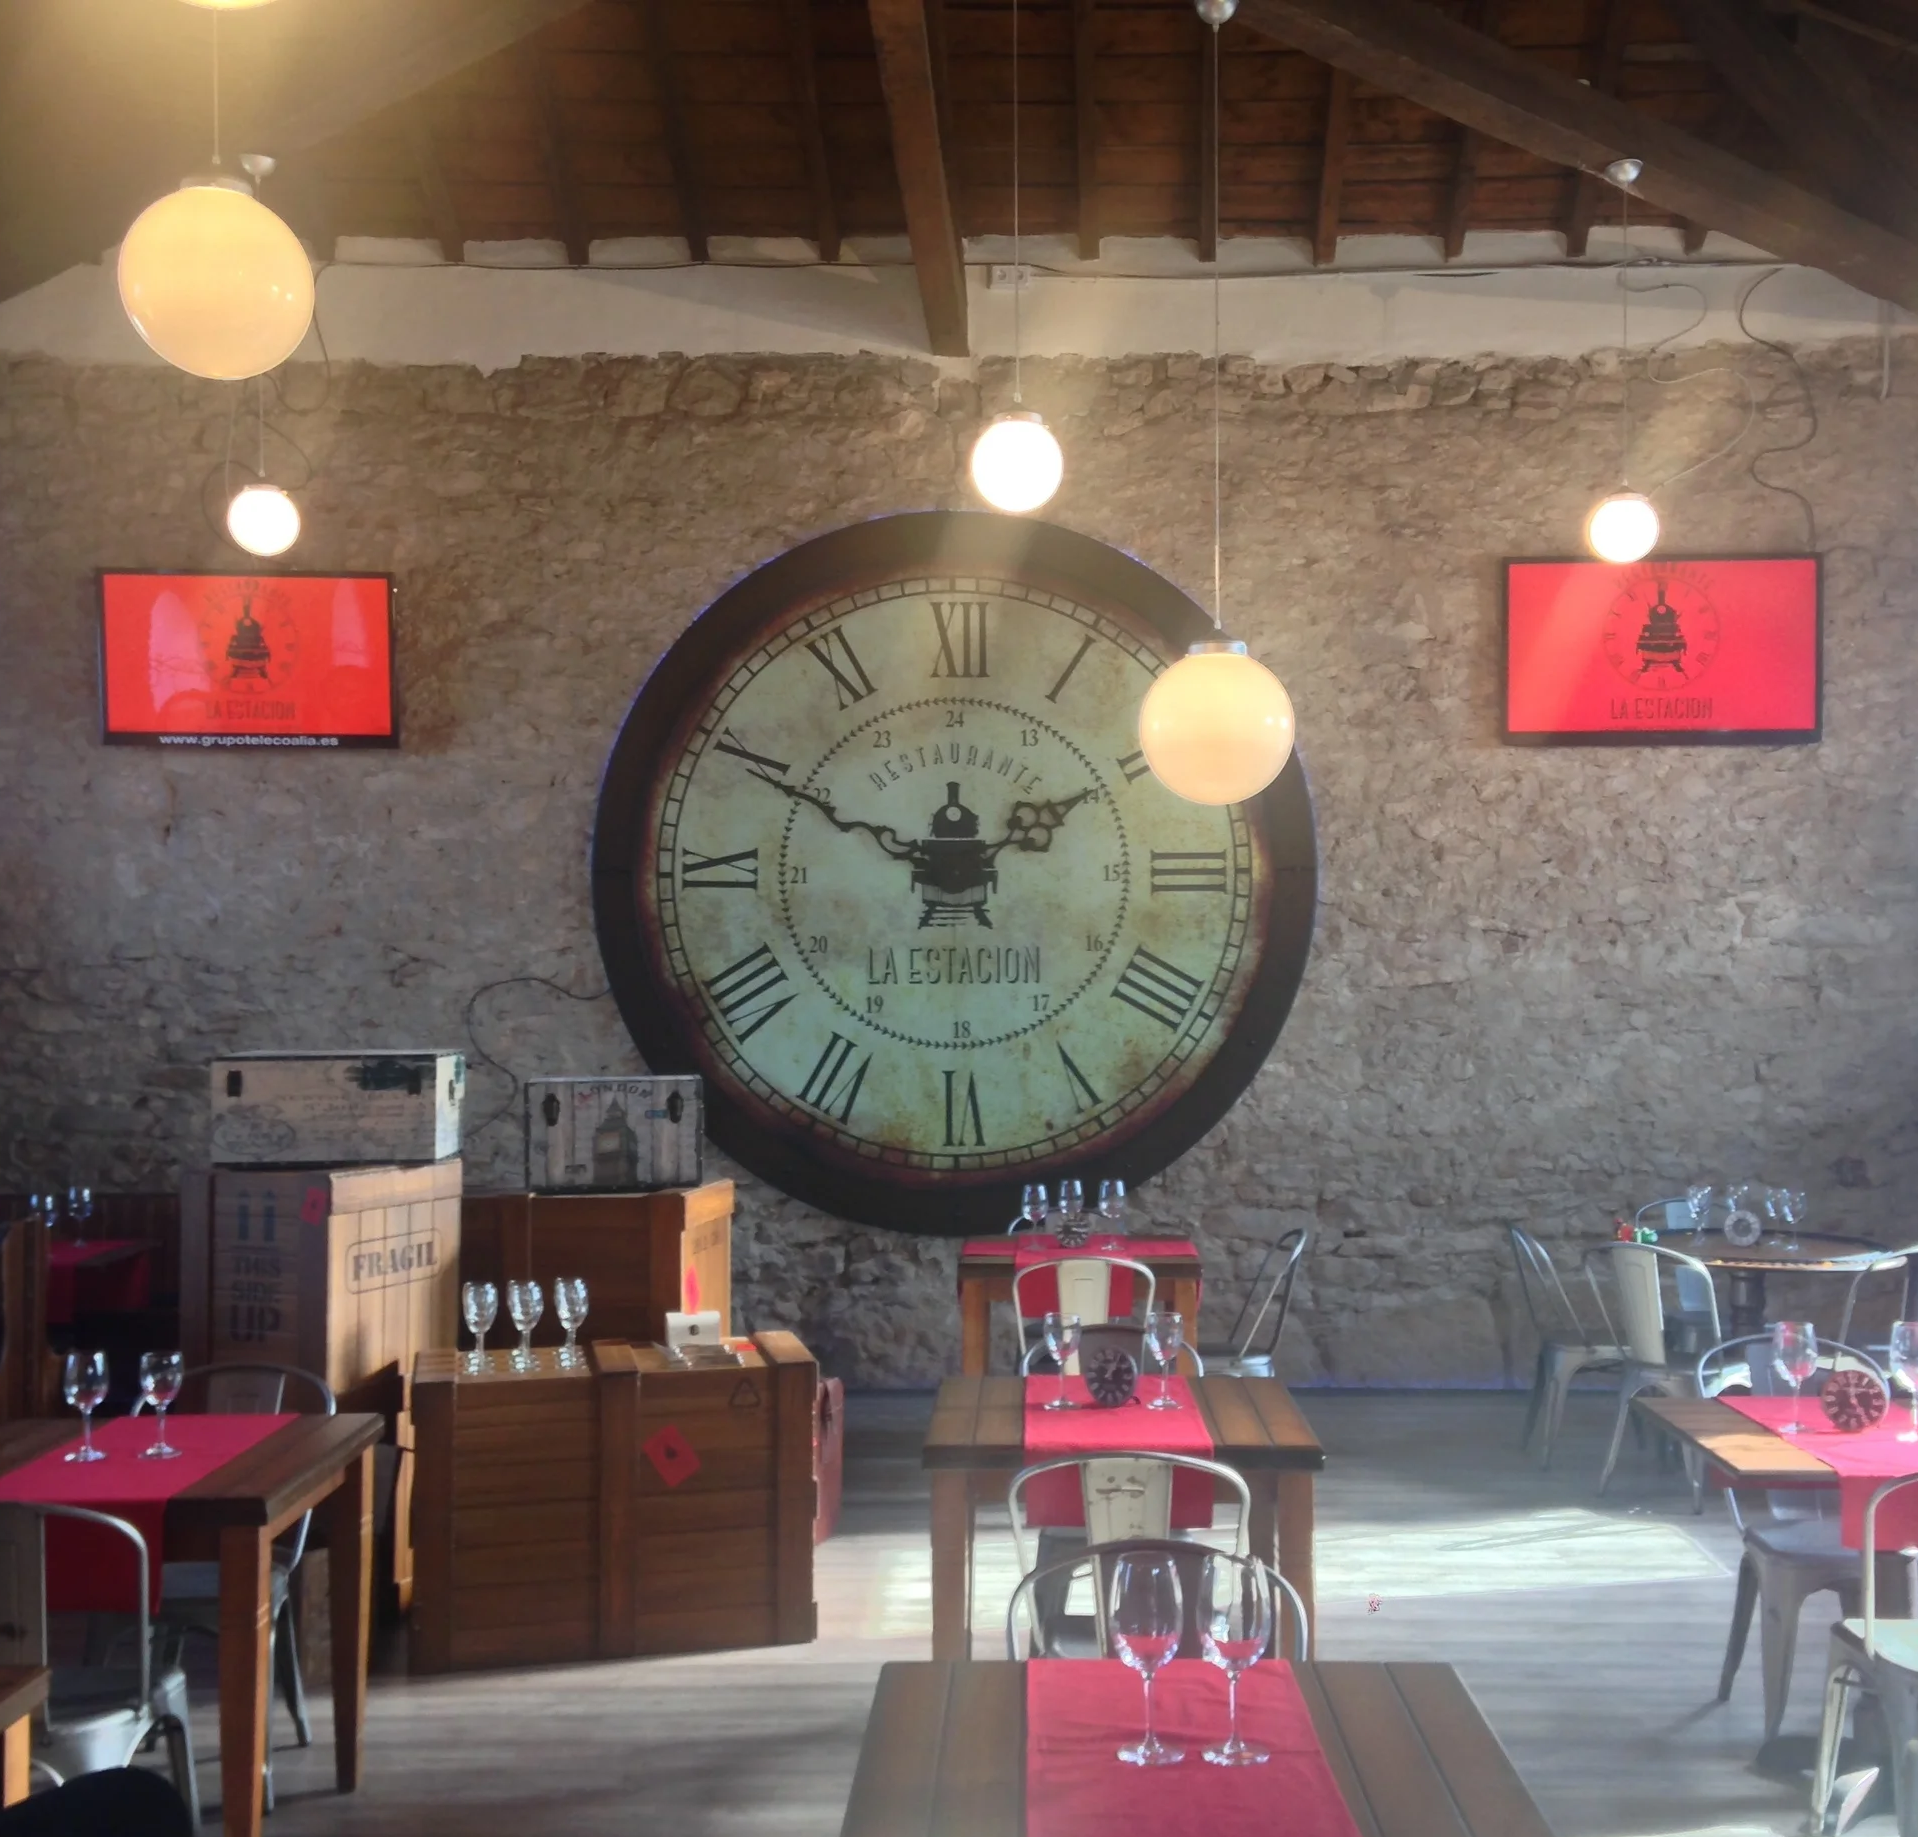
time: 1:49
